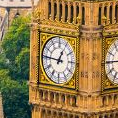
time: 12:46
